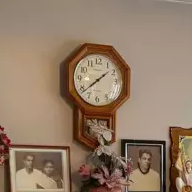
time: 1:38
